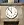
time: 11:53
